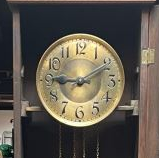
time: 9:10
